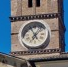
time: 6:55
